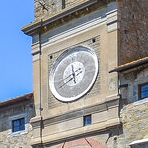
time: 5:40
